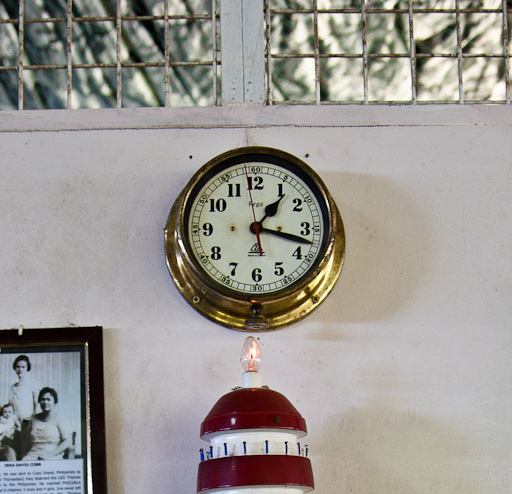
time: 1:17
